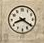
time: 8:20
